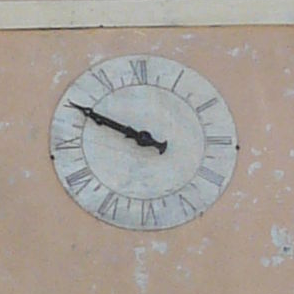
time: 9:49
